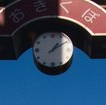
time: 1:09
